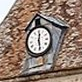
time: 12:28
